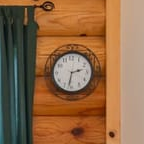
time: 2:32
